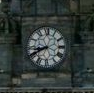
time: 8:40
